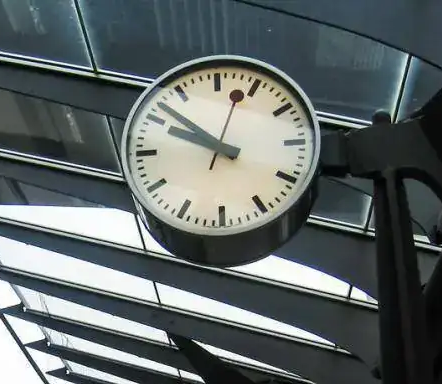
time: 9:51
